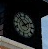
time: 1:51
